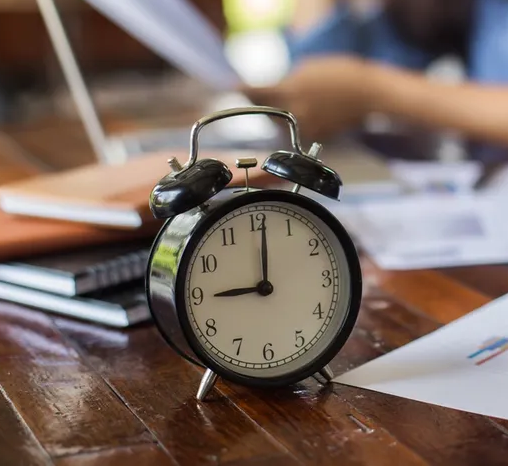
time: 9:01
